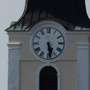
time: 5:28
